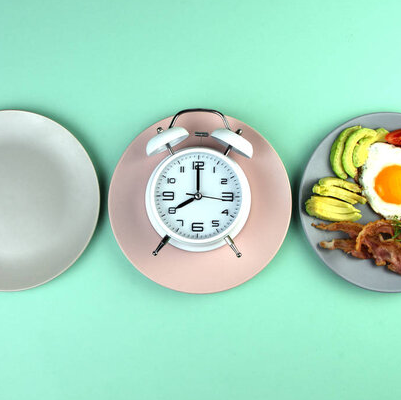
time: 8:00
